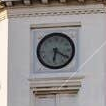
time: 6:20
